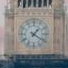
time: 1:20
